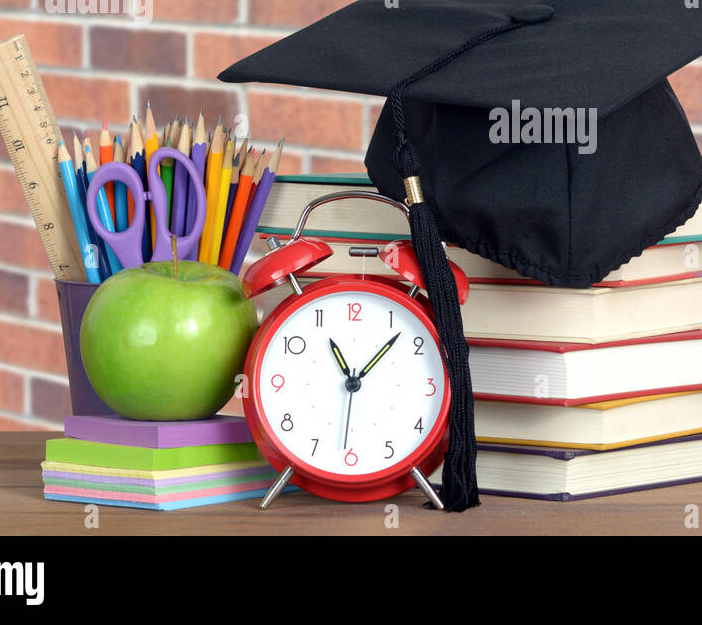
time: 11:07
